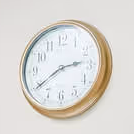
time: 2:39
